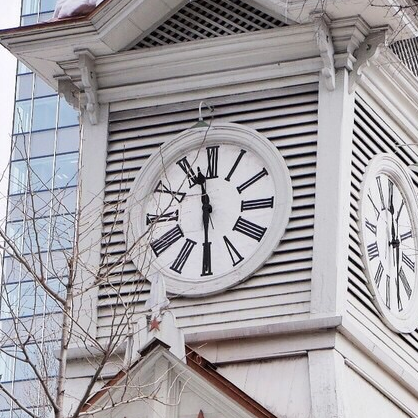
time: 11:29
